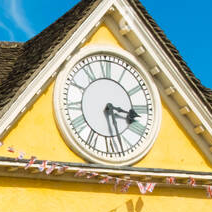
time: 3:27
